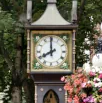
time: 7:59
